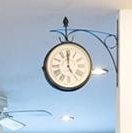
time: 4:59
